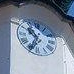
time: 10:34
